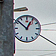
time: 12:51
